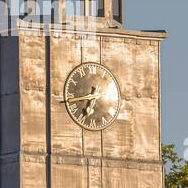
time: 6:43
